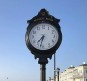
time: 7:32
